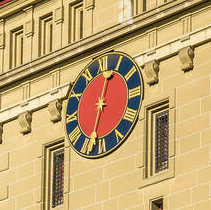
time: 12:32
